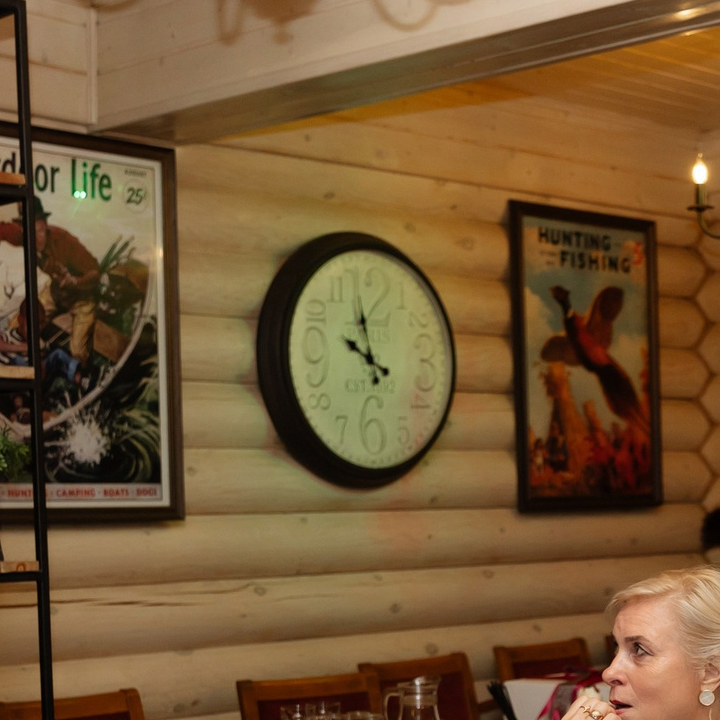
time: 9:57
